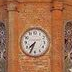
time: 7:34
